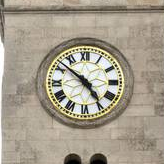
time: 4:51
